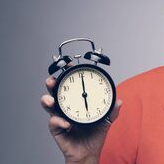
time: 6:00
